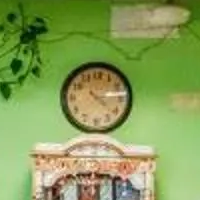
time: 4:13
